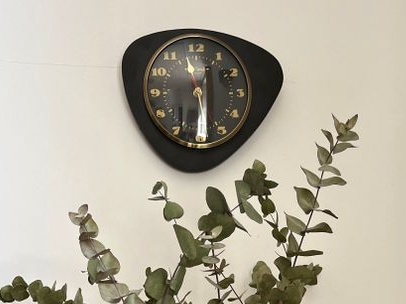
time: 11:29
